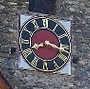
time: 8:17
